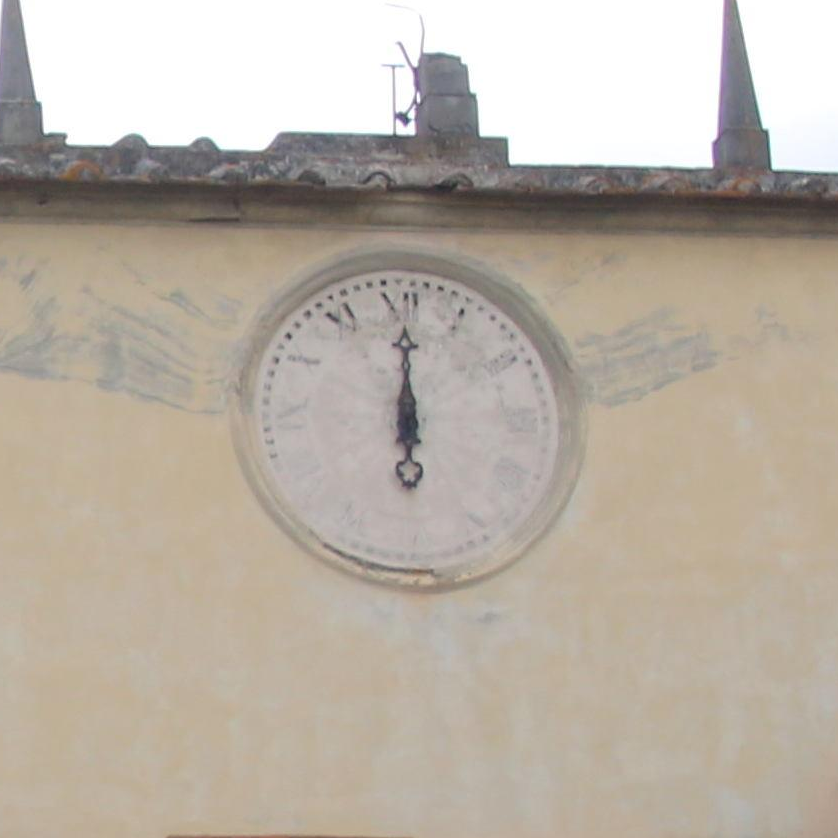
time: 12:00
